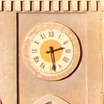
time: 2:28
